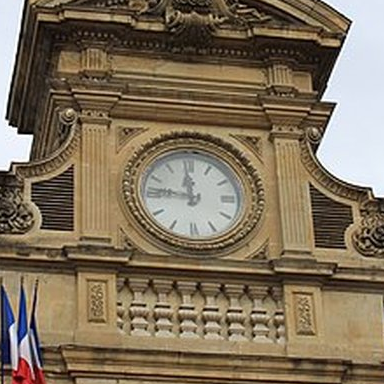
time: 11:46
